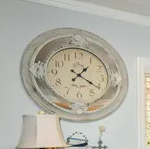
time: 1:20
